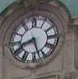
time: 8:27
